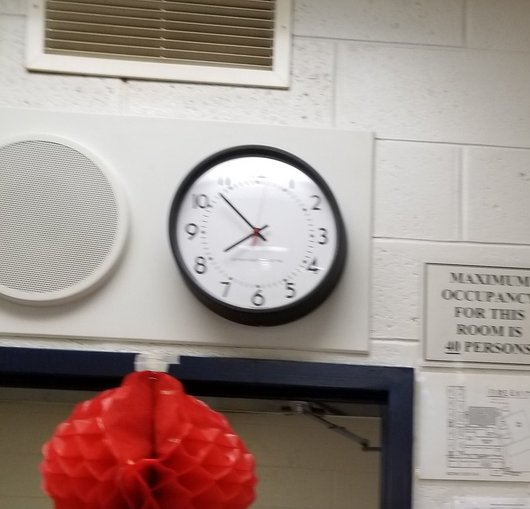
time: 7:52
